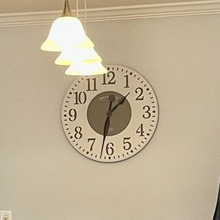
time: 1:32
